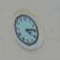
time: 4:13
